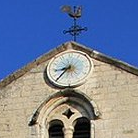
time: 8:36
